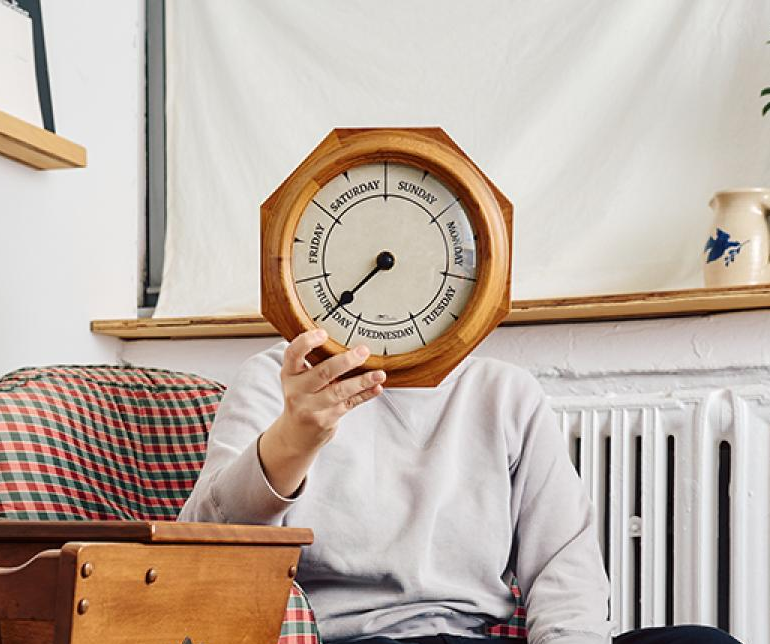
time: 7:37
